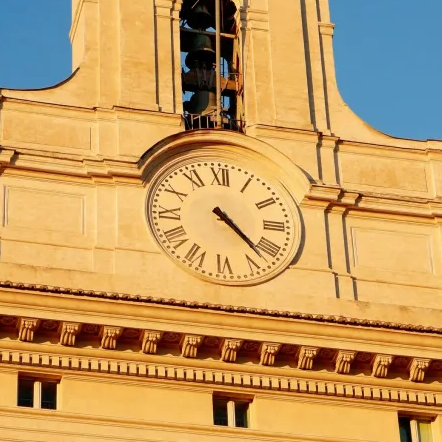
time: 4:22
